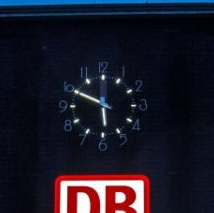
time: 5:49
